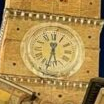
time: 12:32
